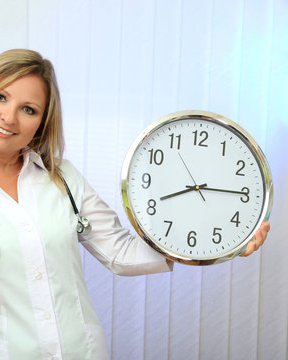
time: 8:14
